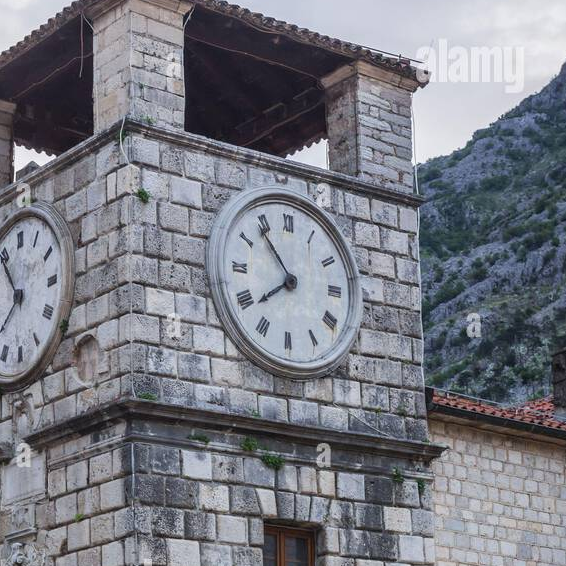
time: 7:53
